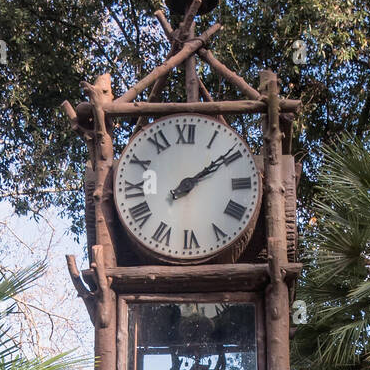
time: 2:09
